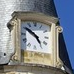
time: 4:51
